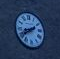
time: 8:40
